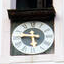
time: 5:45
